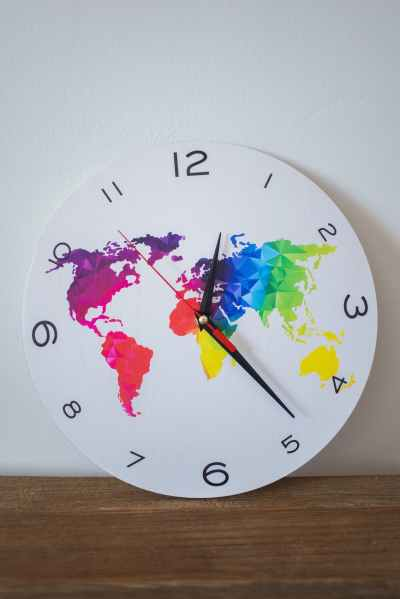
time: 12:23
